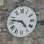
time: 4:46
